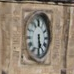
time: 5:30
